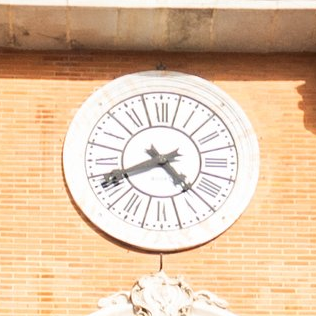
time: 4:40
